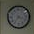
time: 3:36
